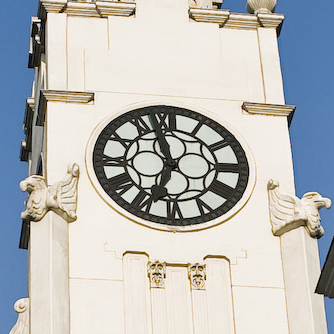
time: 6:56
